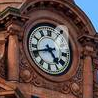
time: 4:42
